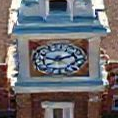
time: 9:11
